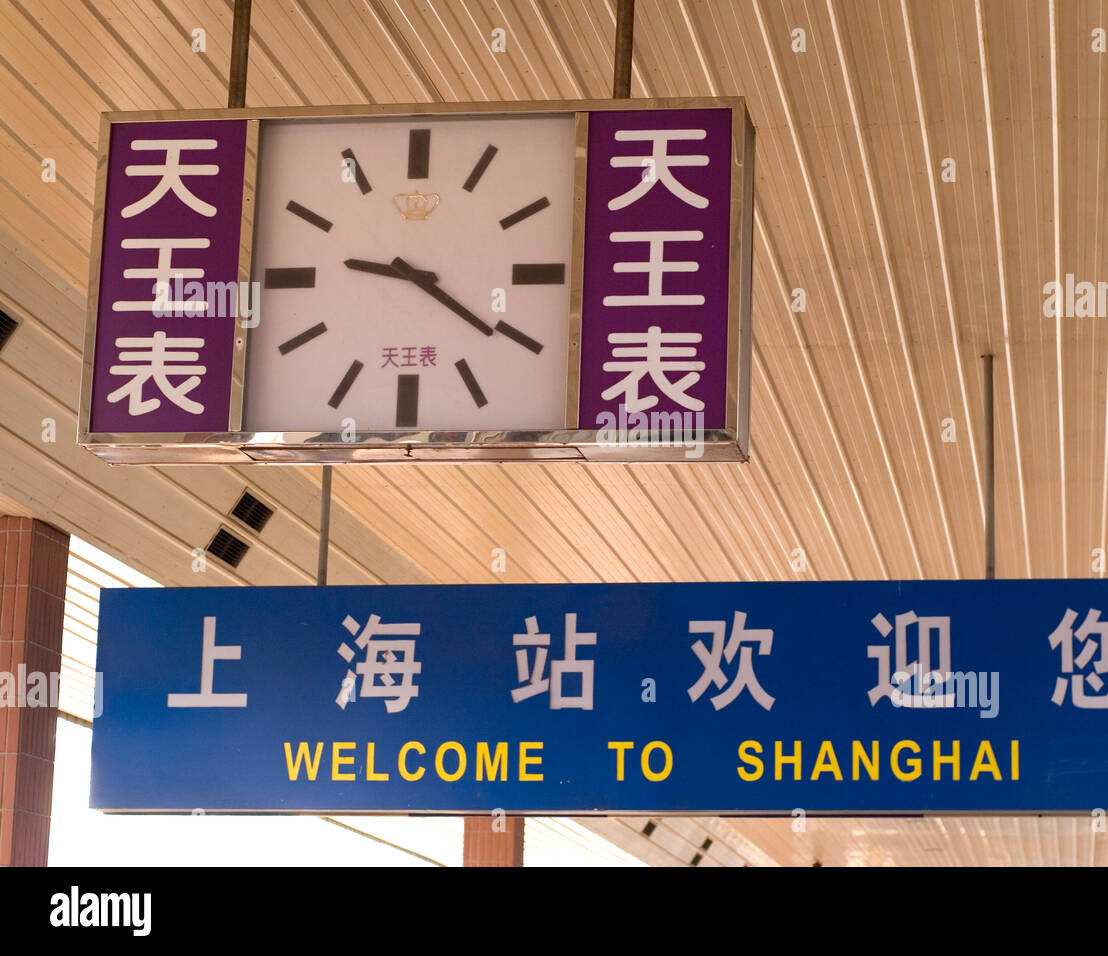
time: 9:20
